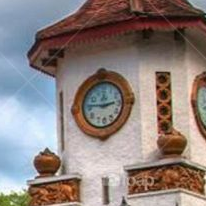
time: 2:46
